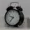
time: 9:36
